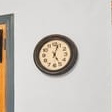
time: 5:02
